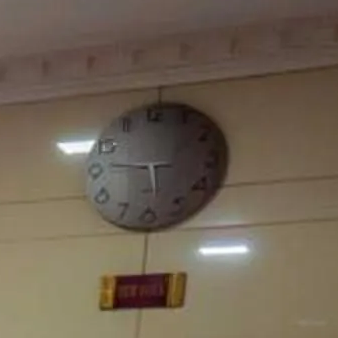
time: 5:46
